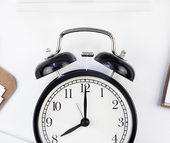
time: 8:00
